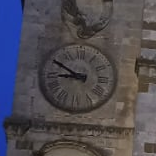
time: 8:50
